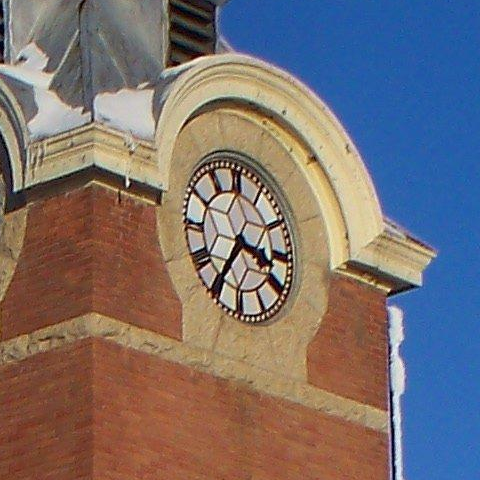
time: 3:35
